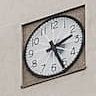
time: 2:26
